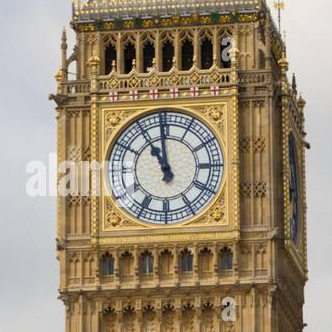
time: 10:58
